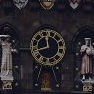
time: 11:42
